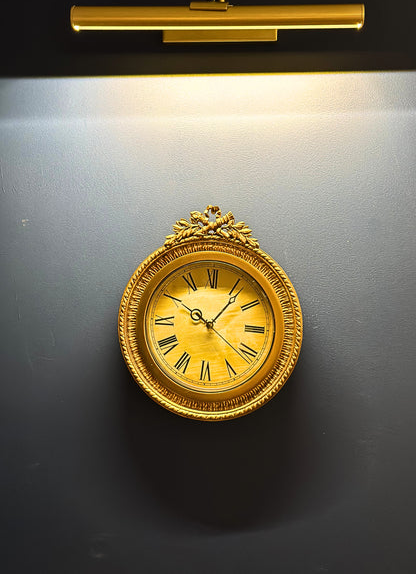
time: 10:06
